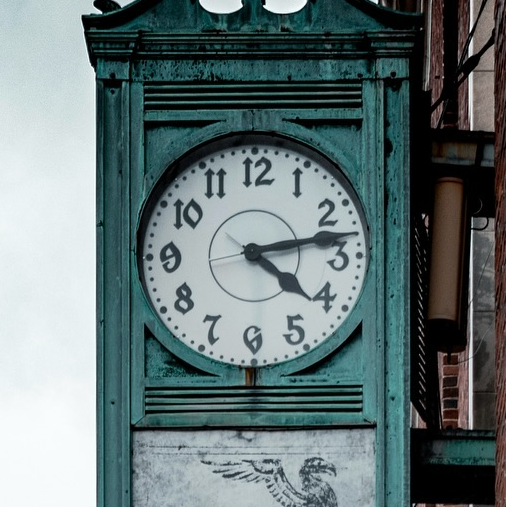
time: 4:13
